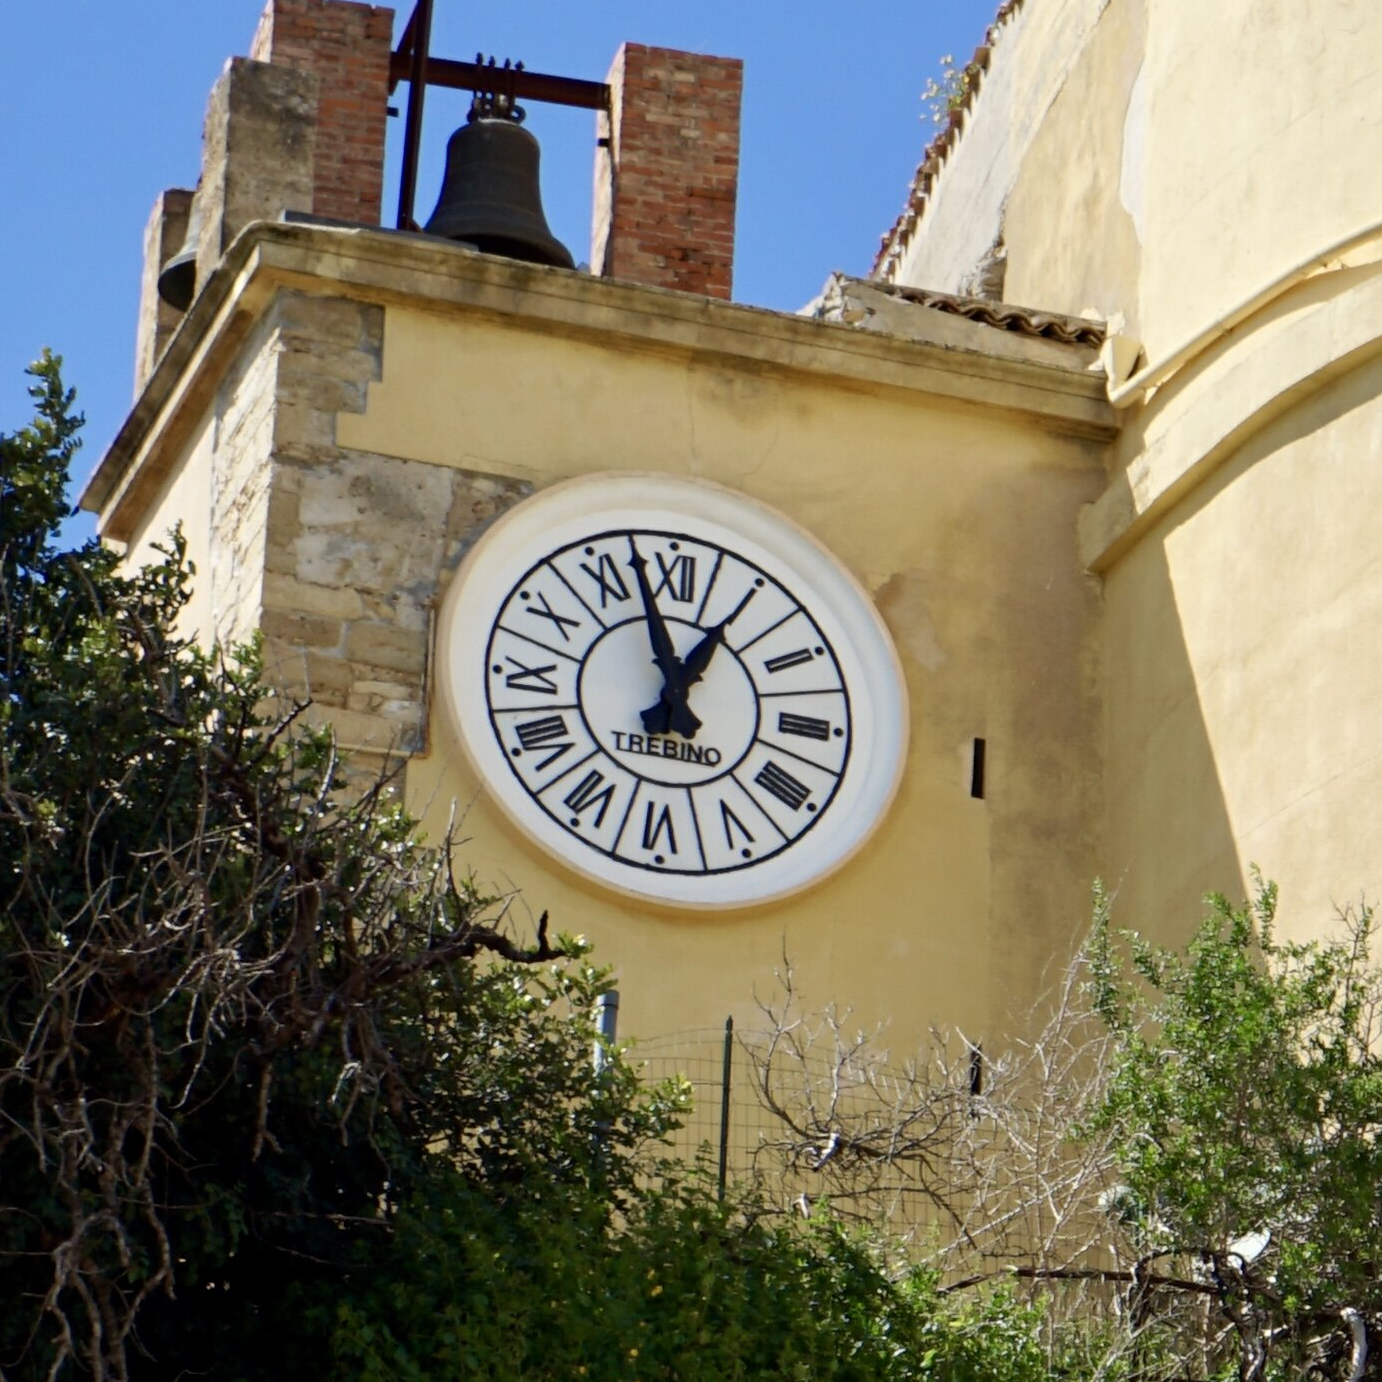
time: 12:57
